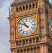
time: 10:50
